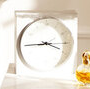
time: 3:44
